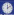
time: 12:09
